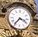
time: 3:36
